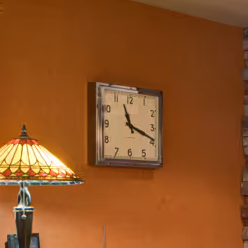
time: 11:18
